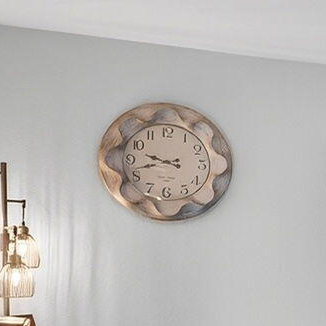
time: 9:42
